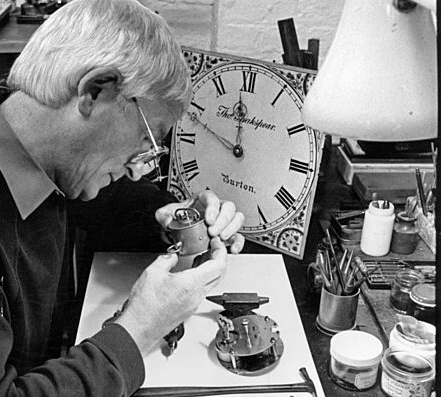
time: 11:48
